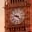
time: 9:22
